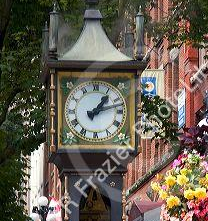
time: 1:12
